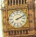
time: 2:11
